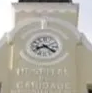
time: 8:20
